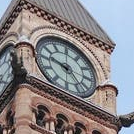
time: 9:23
